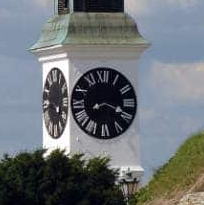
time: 8:18
